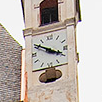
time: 3:50
